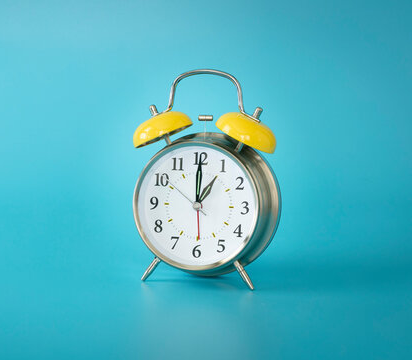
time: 12:59
